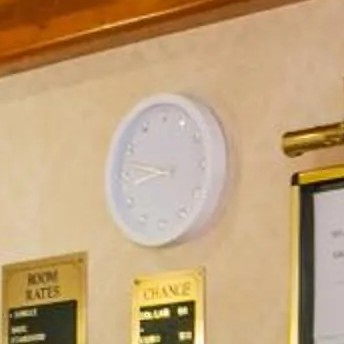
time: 8:47
